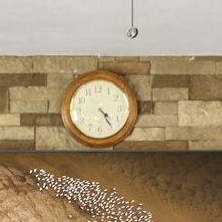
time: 4:24
